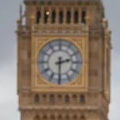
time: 2:30
